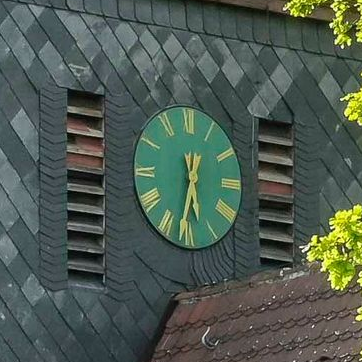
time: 5:31
